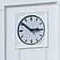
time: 2:51
